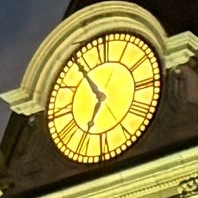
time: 6:54
